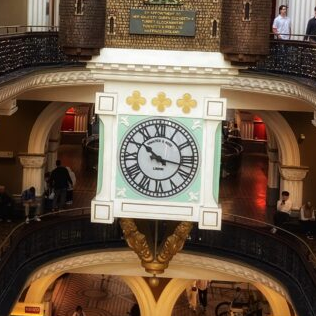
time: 10:17
